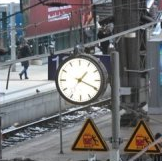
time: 1:19
